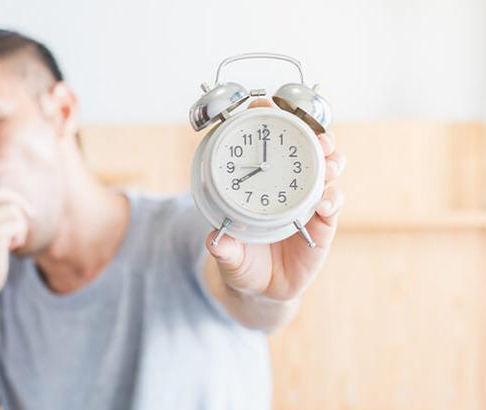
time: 8:00
